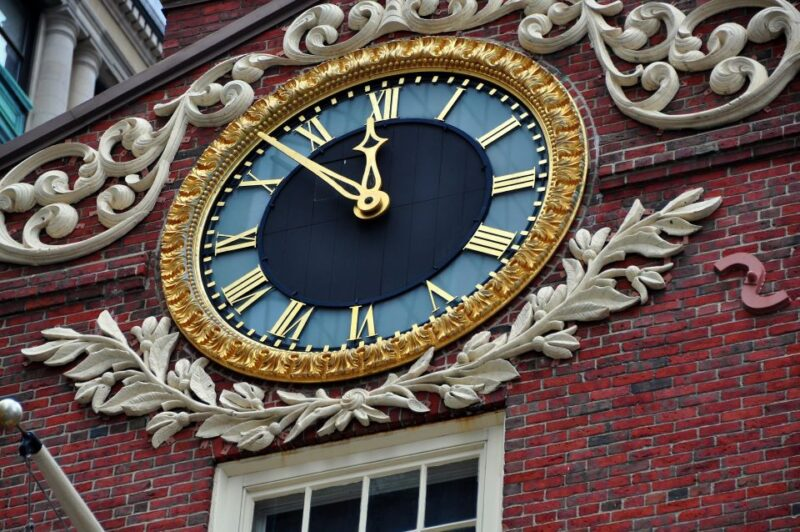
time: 11:52
